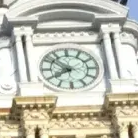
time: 7:51
